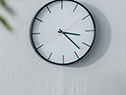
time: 3:22
